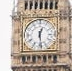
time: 12:28
